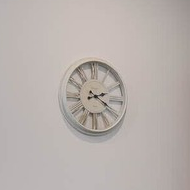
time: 2:19
